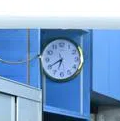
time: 6:40
